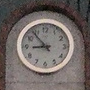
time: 8:53
